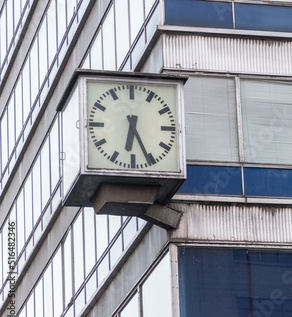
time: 6:25
